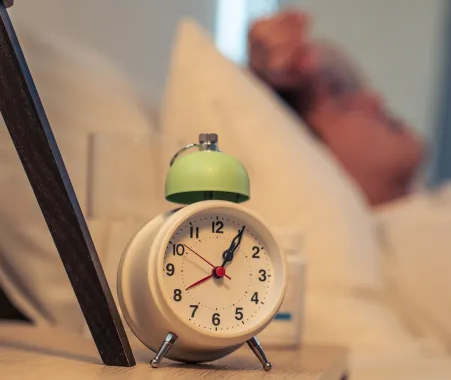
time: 1:04
